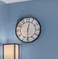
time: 12:29
